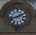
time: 1:42
